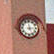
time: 2:58
